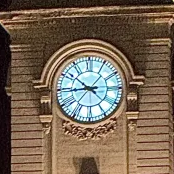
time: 8:51
